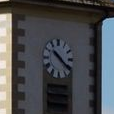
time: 10:21
